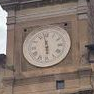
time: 5:58
